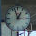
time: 12:57
